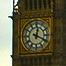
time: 12:19
